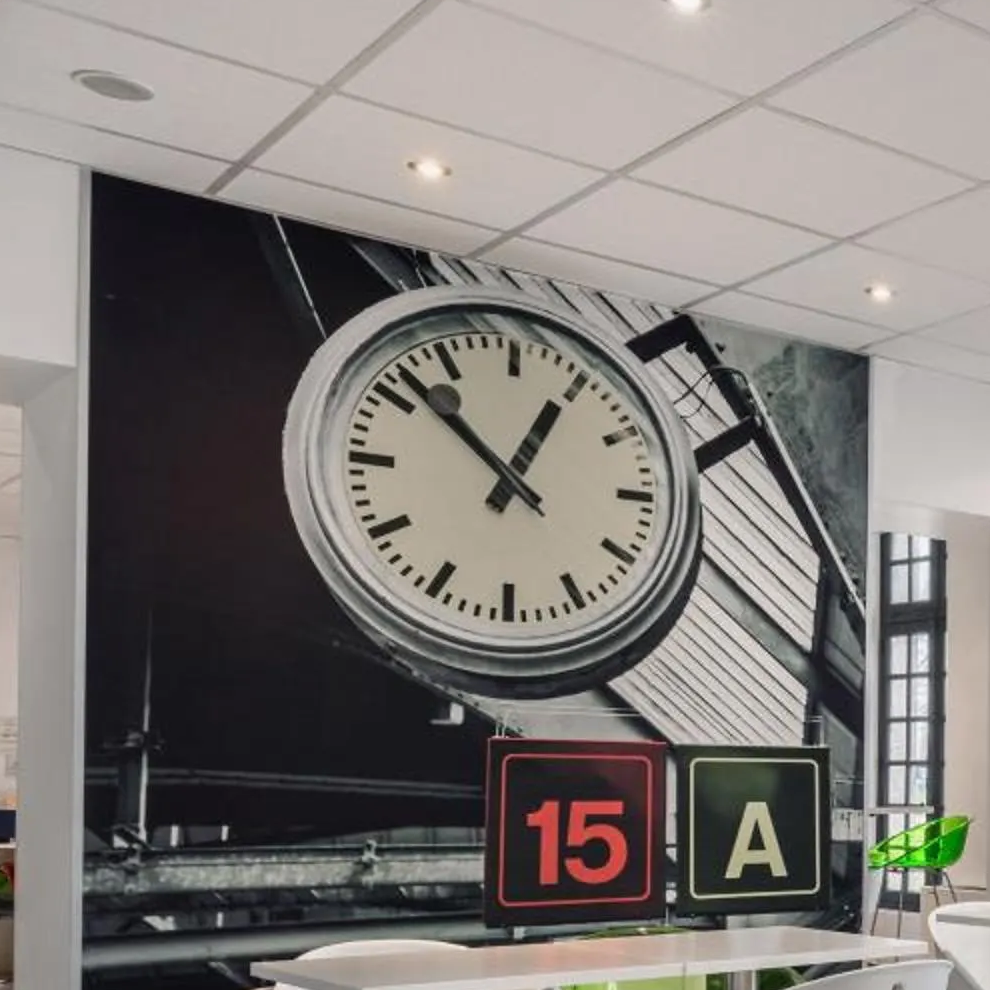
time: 12:52
